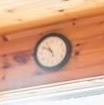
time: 10:50
